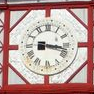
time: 3:16
